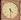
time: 4:29
